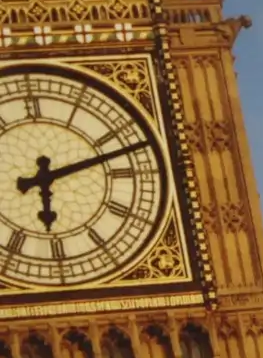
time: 6:12
